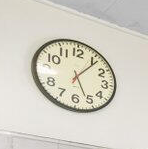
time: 5:06
